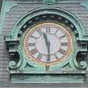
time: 11:29
